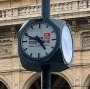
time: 4:48
